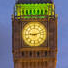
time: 9:12
